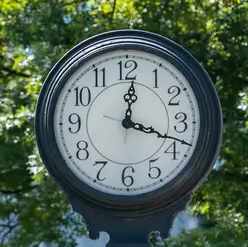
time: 12:18
